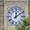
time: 12:09
